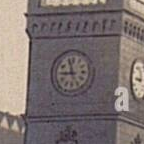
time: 8:57
